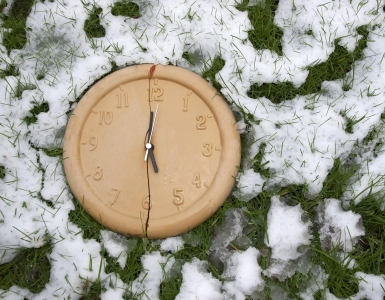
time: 5:00
